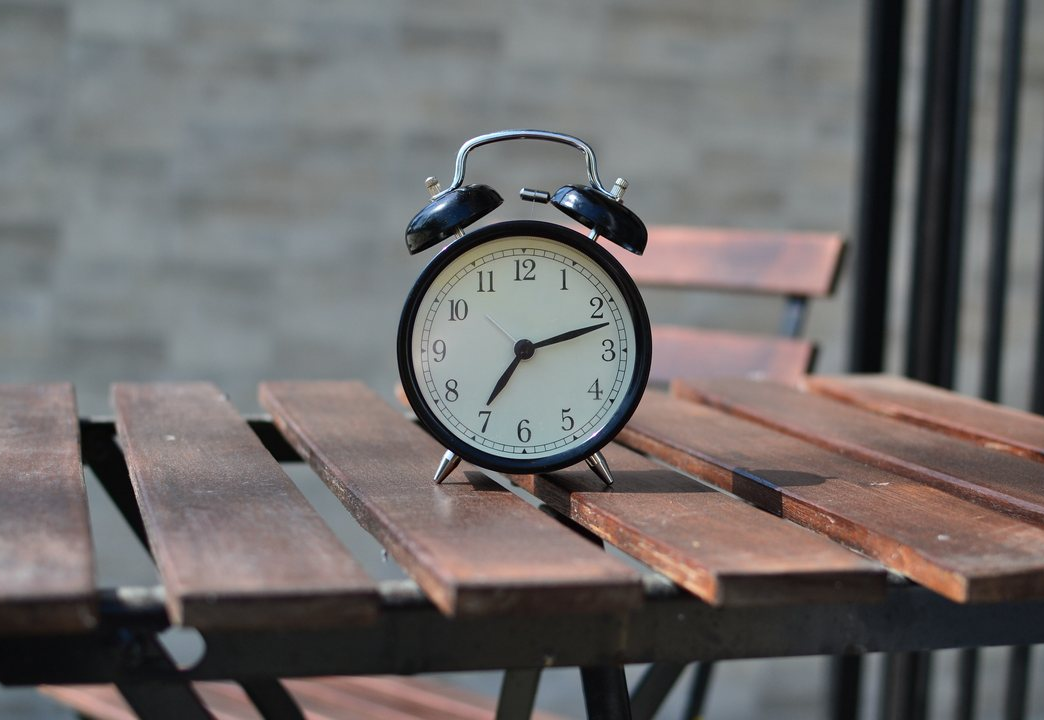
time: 7:12
